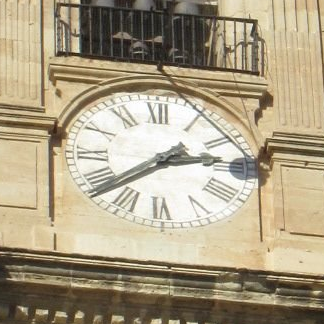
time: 2:38
